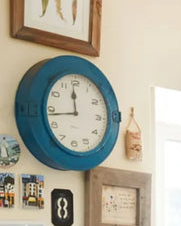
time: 11:43
